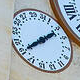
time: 8:11
